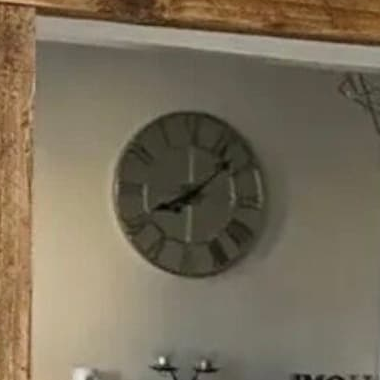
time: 8:07
